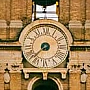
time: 7:37
